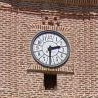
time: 2:30
